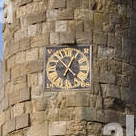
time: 12:52
